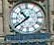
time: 10:39
